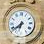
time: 6:38
